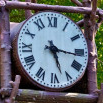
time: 5:16
